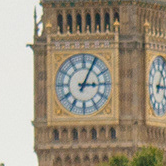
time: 3:04
